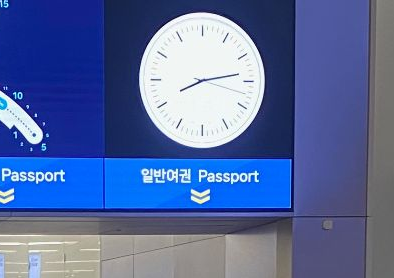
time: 8:13
